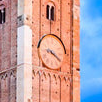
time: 9:20
